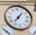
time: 7:07
